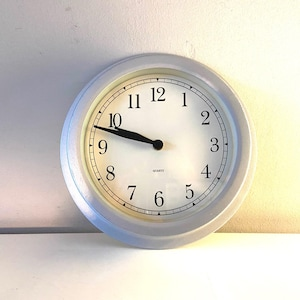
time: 9:47
